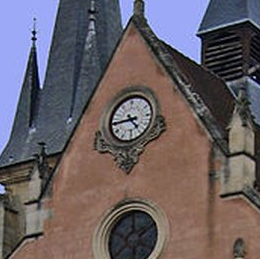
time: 4:44
